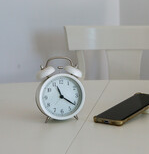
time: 11:20
